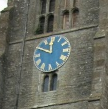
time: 11:49
